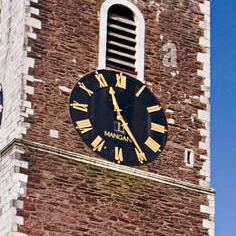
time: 11:24
